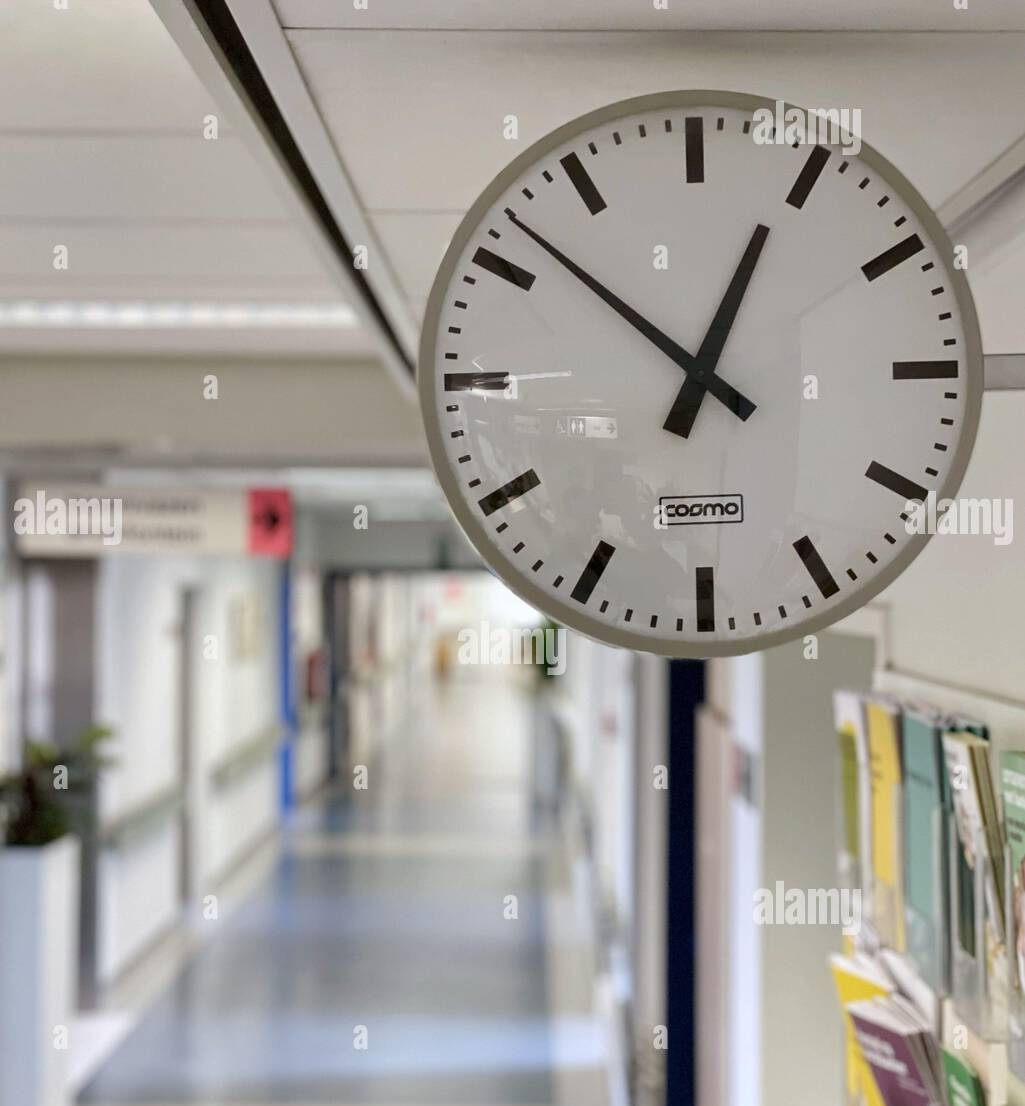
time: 12:52
